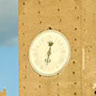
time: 12:32
